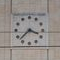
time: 3:37
